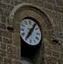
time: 7:06
